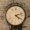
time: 4:12
